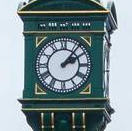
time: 2:06
